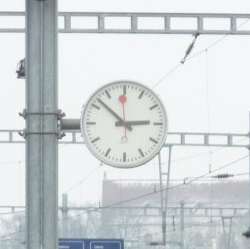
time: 2:52
